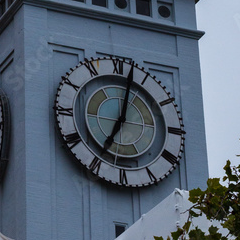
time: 7:02
